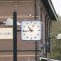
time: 10:43
